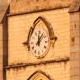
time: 12:07
